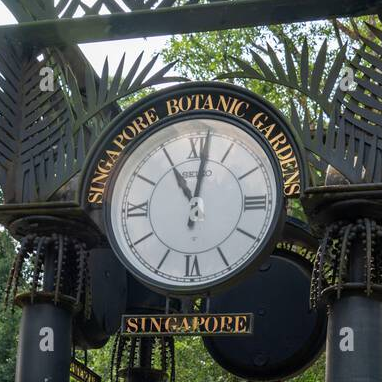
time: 11:01
